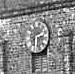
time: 2:29
